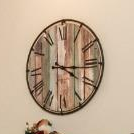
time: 4:16
